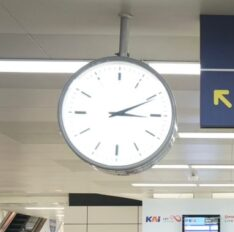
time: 3:10
